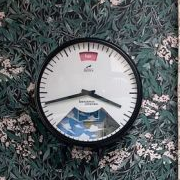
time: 3:42
